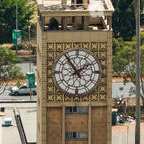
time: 1:54
